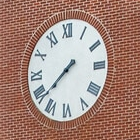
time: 7:38
